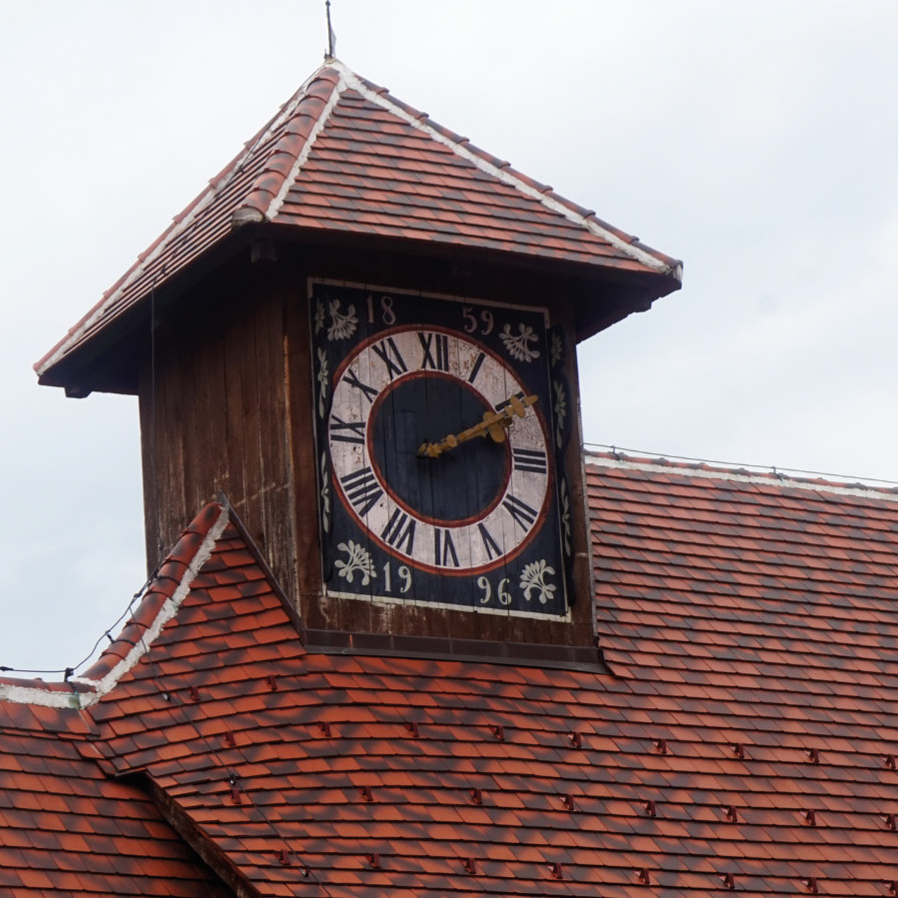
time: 2:09
